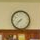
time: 7:37
